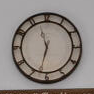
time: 11:32
